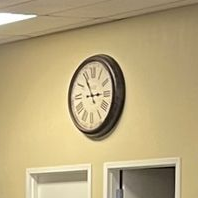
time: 2:54
